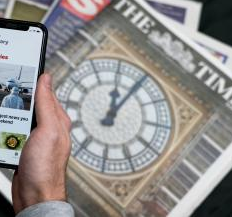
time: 12:05
